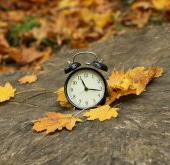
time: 11:16
